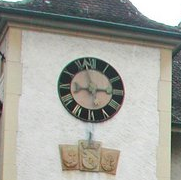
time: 2:57
